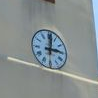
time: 3:01
